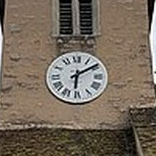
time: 6:09
